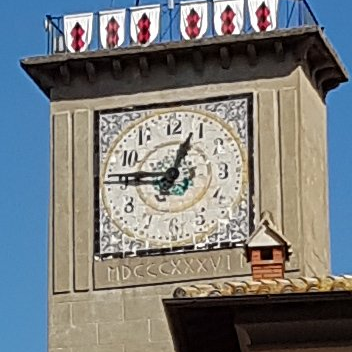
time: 12:46
